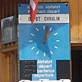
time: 1:02
